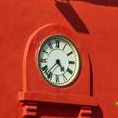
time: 4:37
